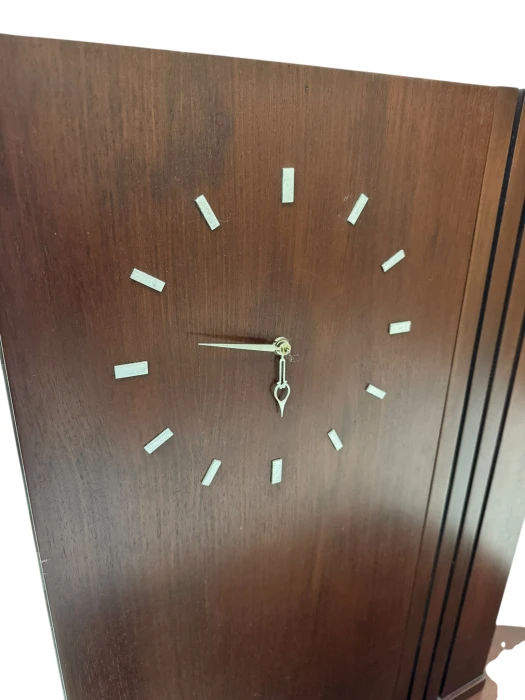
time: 5:46
